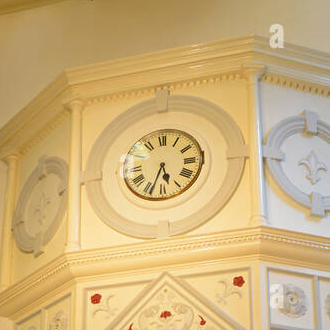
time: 5:33
